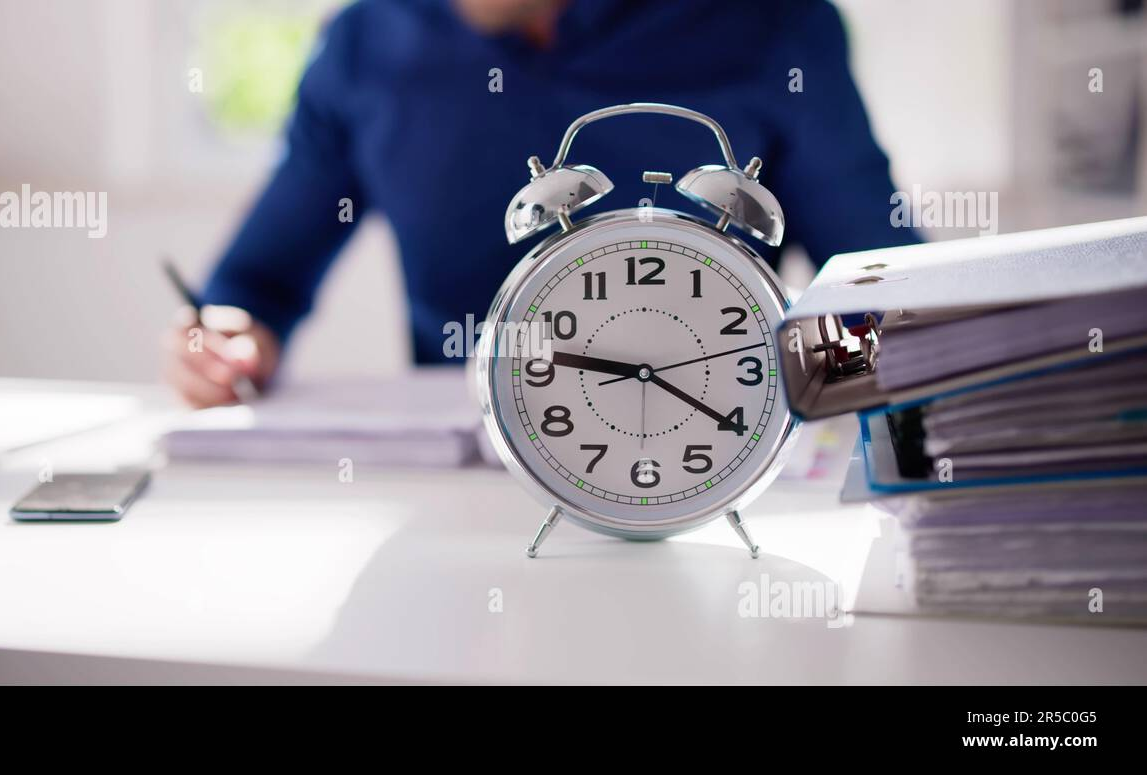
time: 9:20
